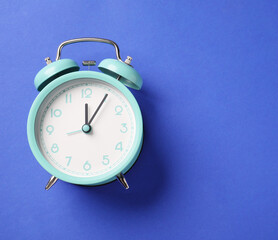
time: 12:05
